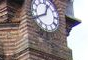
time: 12:40
